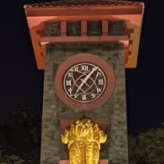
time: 7:06
